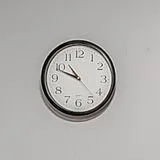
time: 10:48
